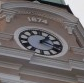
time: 1:18
